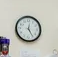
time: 12:24
